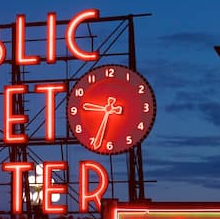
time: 9:34
